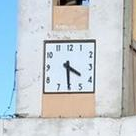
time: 4:30
